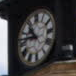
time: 10:47
